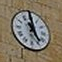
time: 10:59
